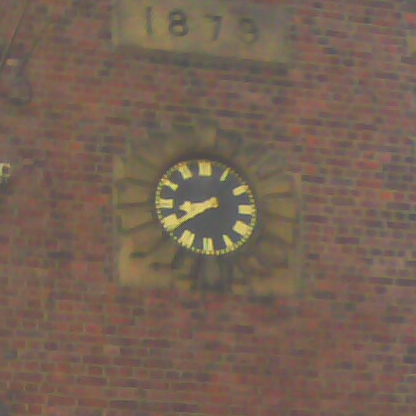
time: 8:38
